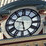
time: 5:48
